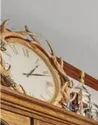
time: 1:11
